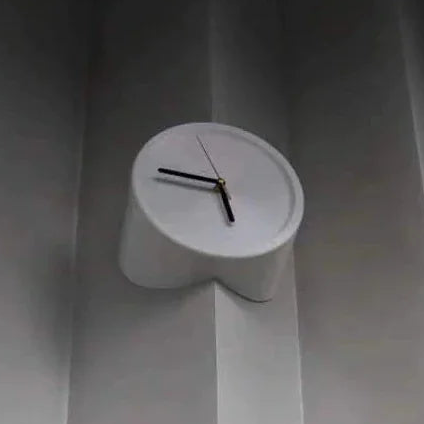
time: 5:46
